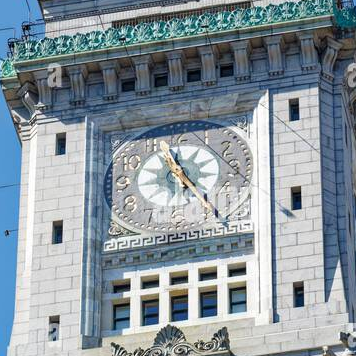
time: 4:57
